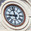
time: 8:57
